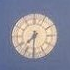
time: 7:30
